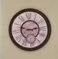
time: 2:48
